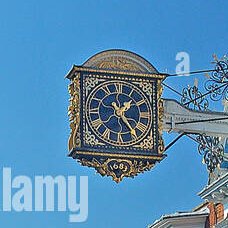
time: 1:23
